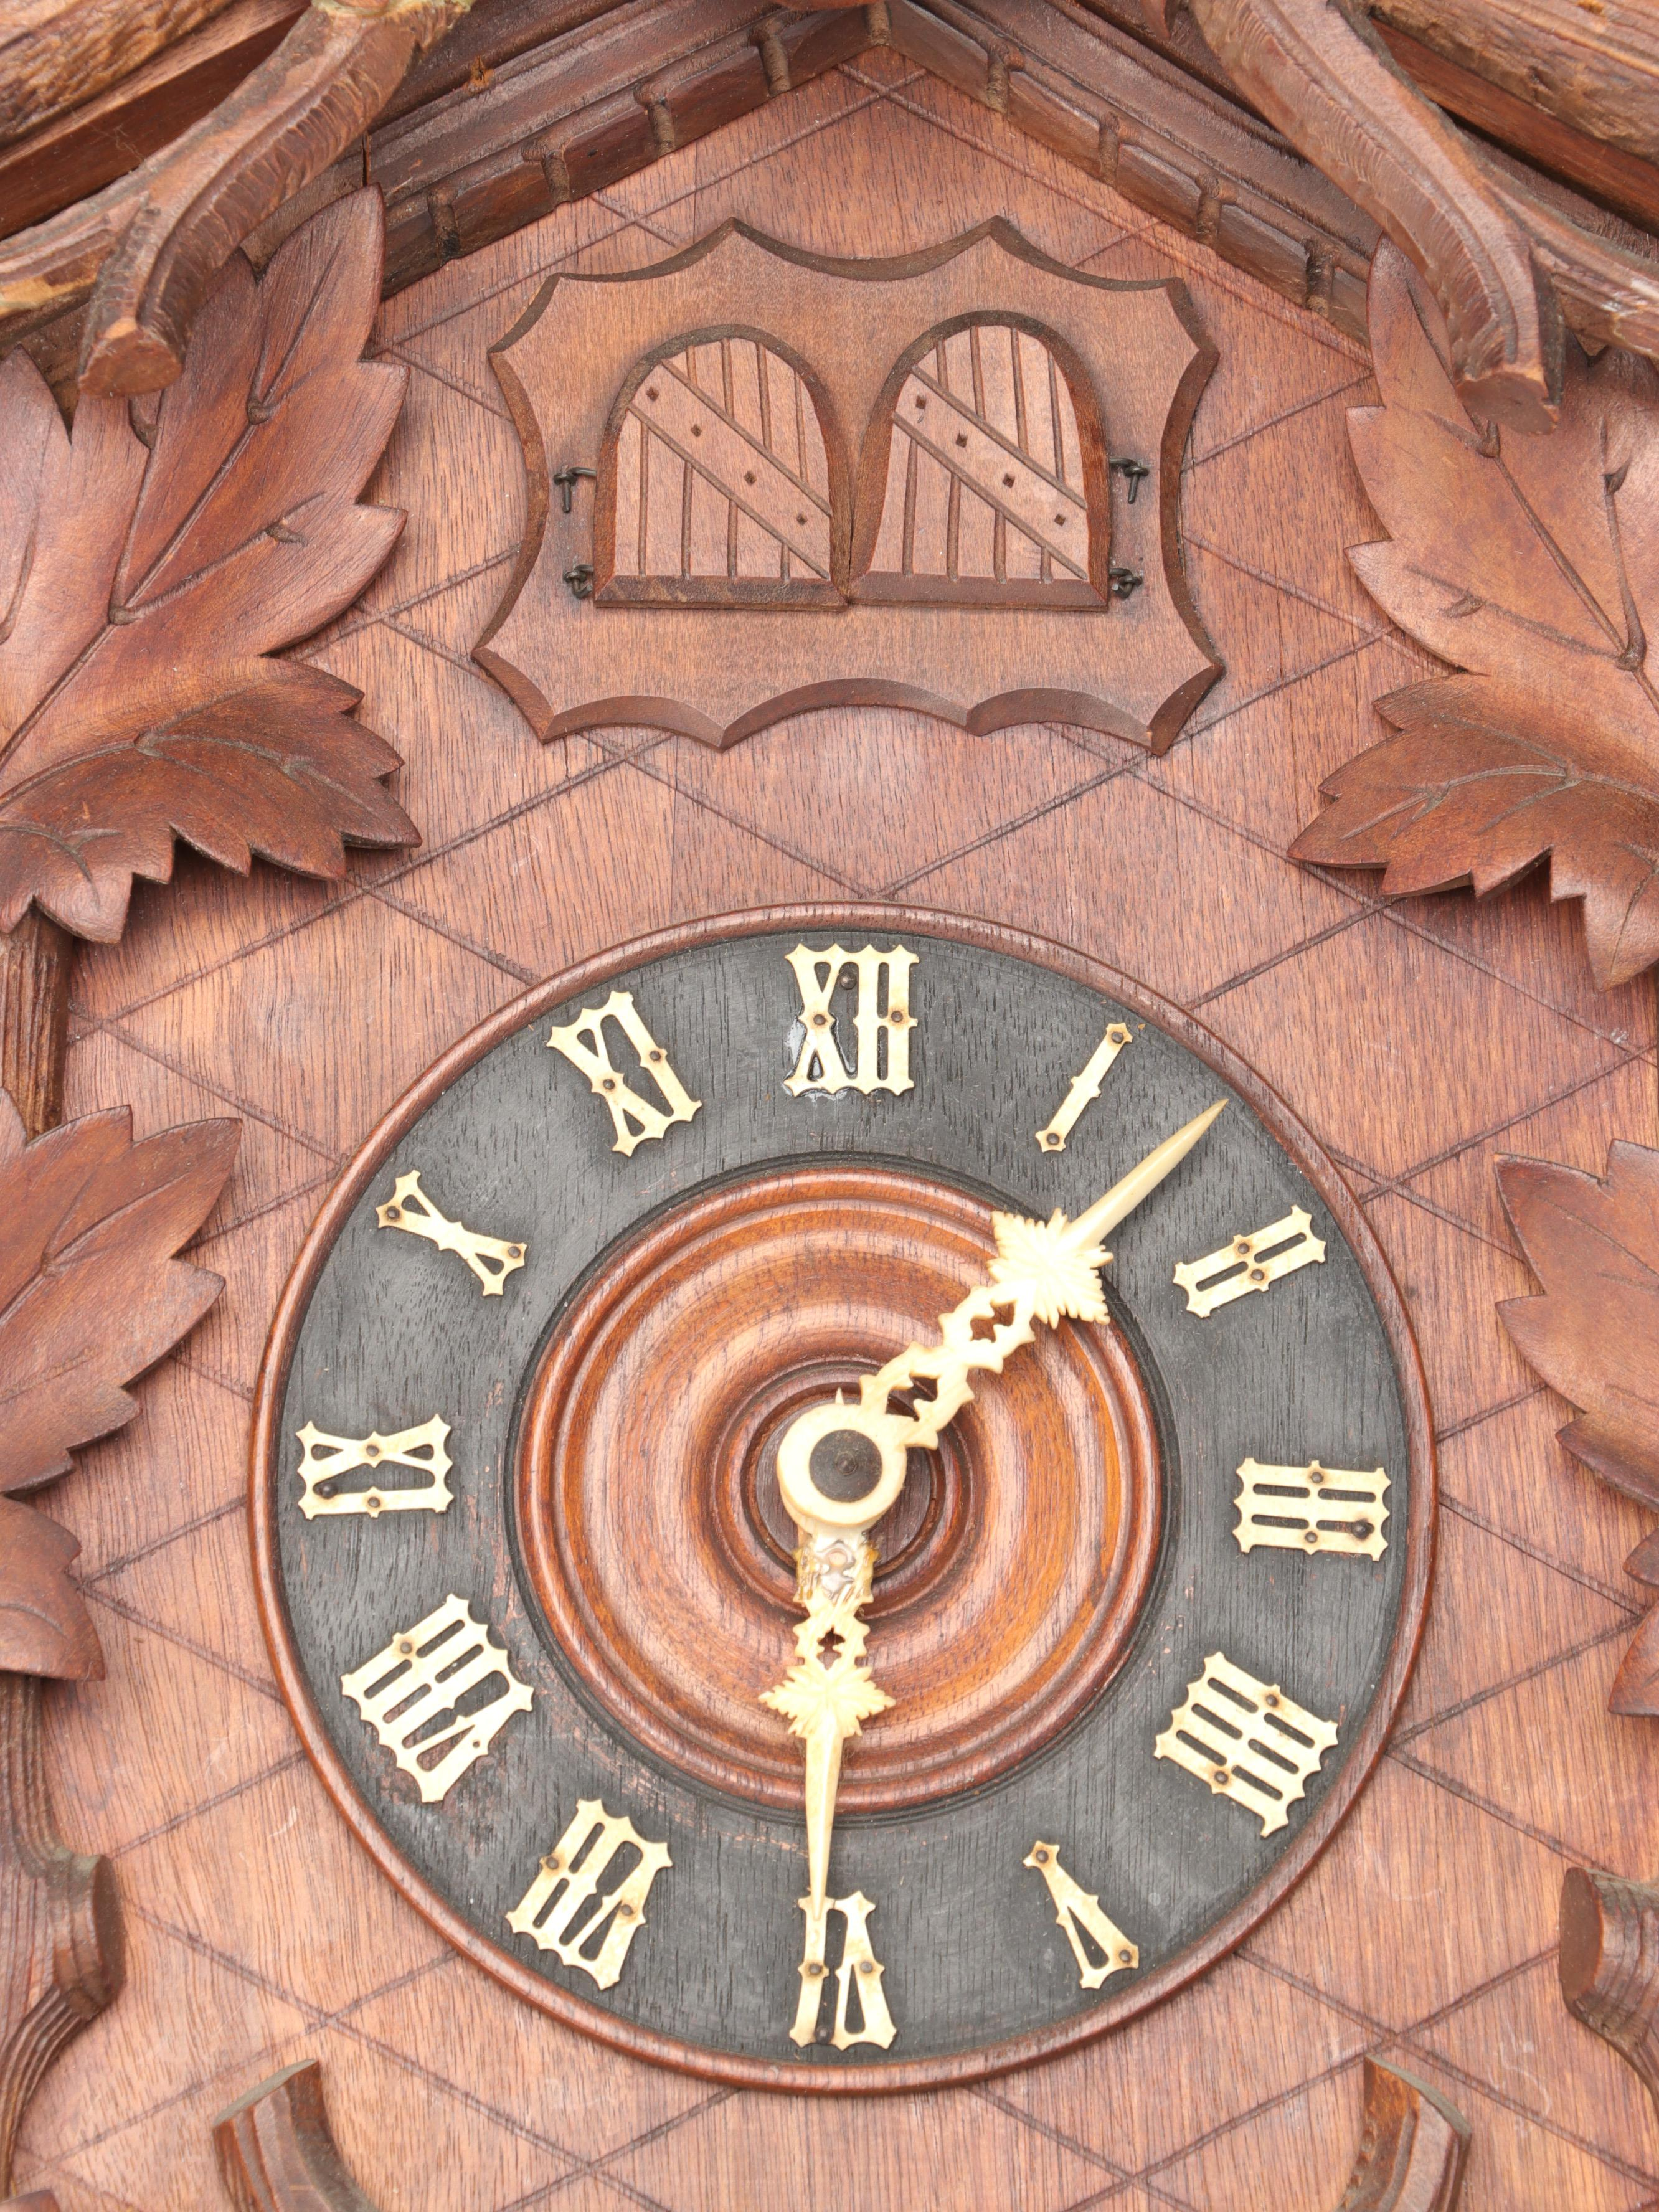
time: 6:07
